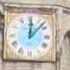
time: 12:07
